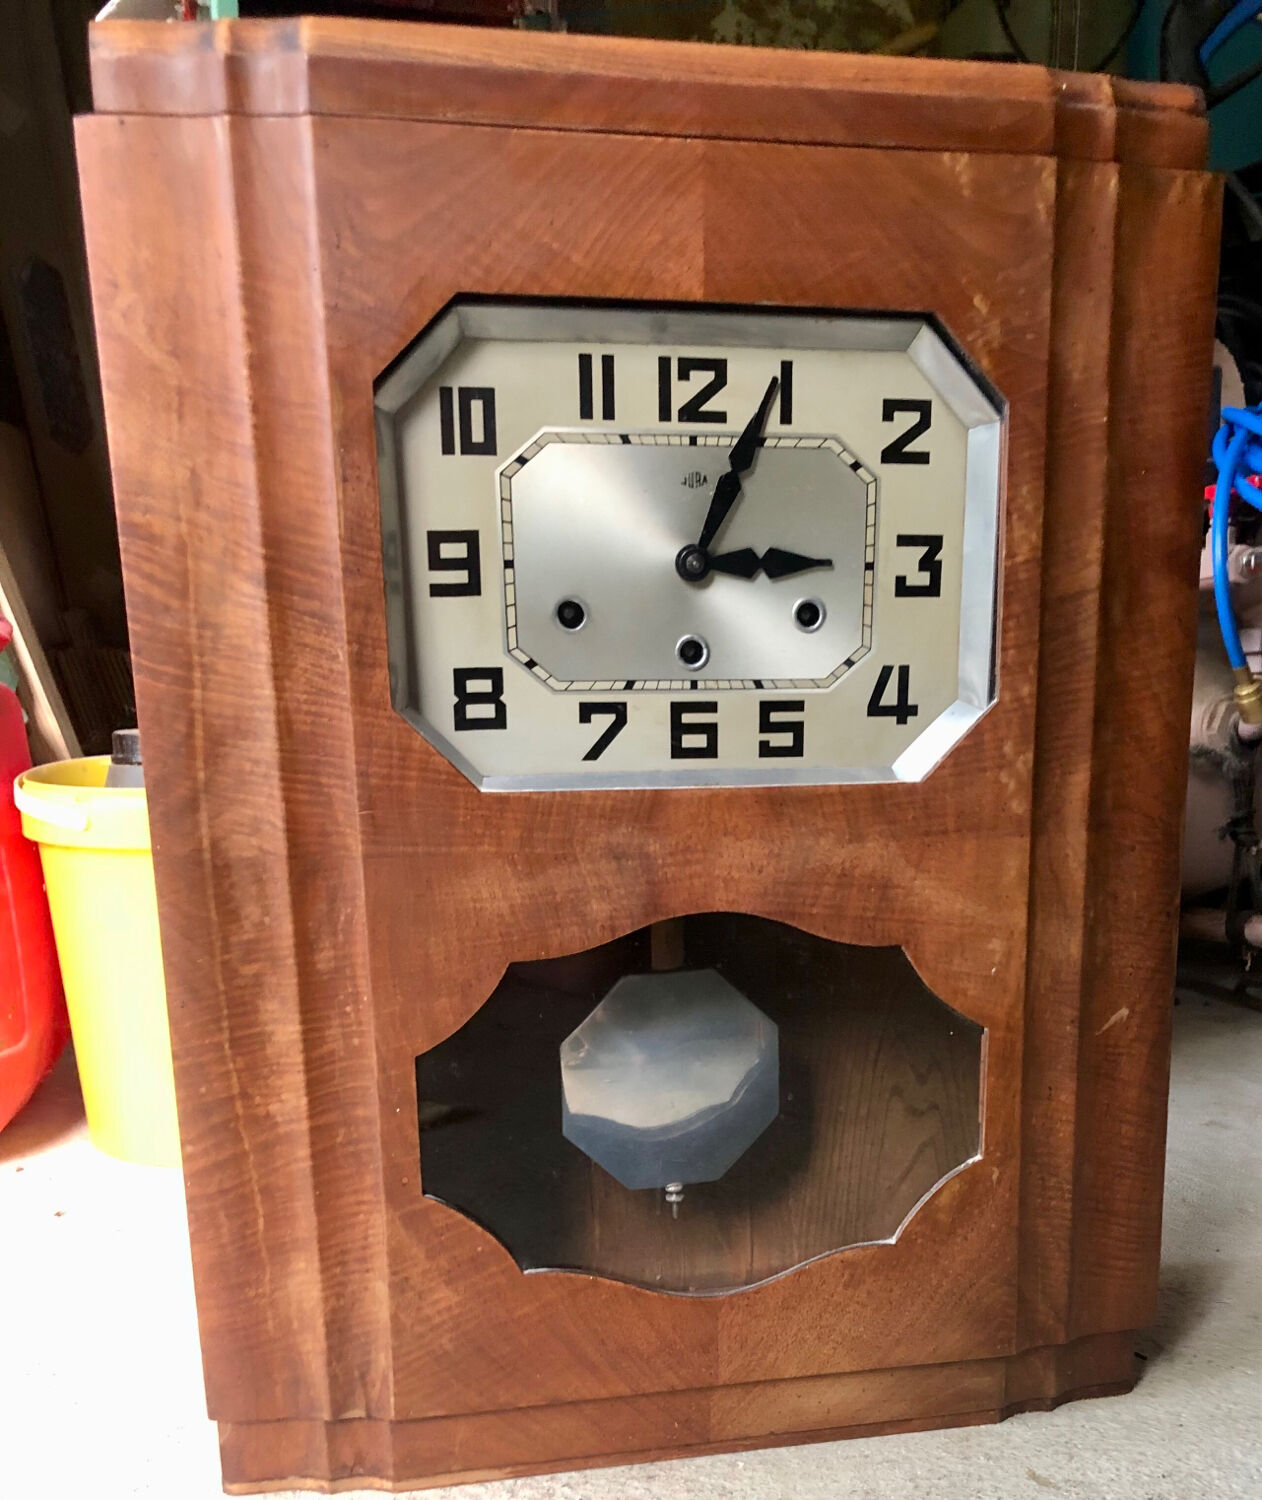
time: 3:04
